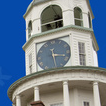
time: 3:28
